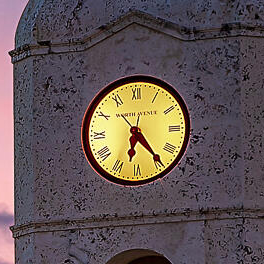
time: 6:23
